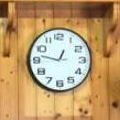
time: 12:47
